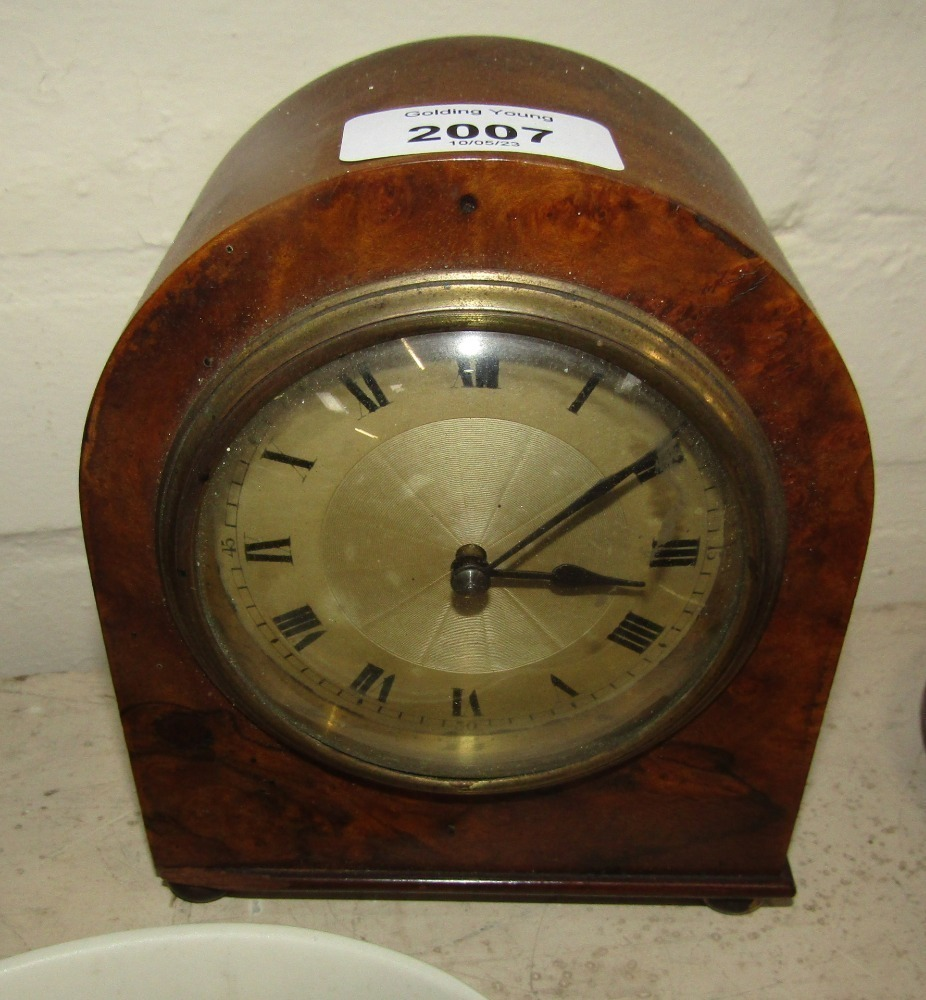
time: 3:09
